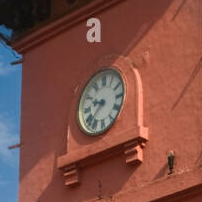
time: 9:38
